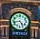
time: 4:42
